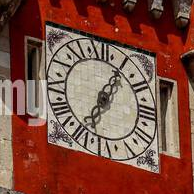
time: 7:05
